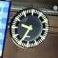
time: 9:34
